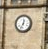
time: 12:33
